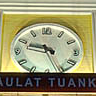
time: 9:26
